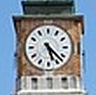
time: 5:22
